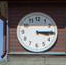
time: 3:14
